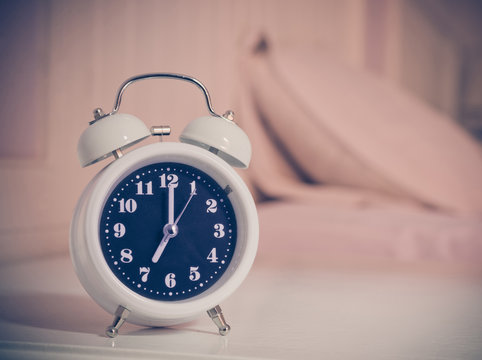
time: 7:00
